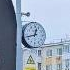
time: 12:42
